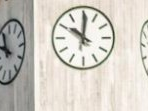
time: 10:00
